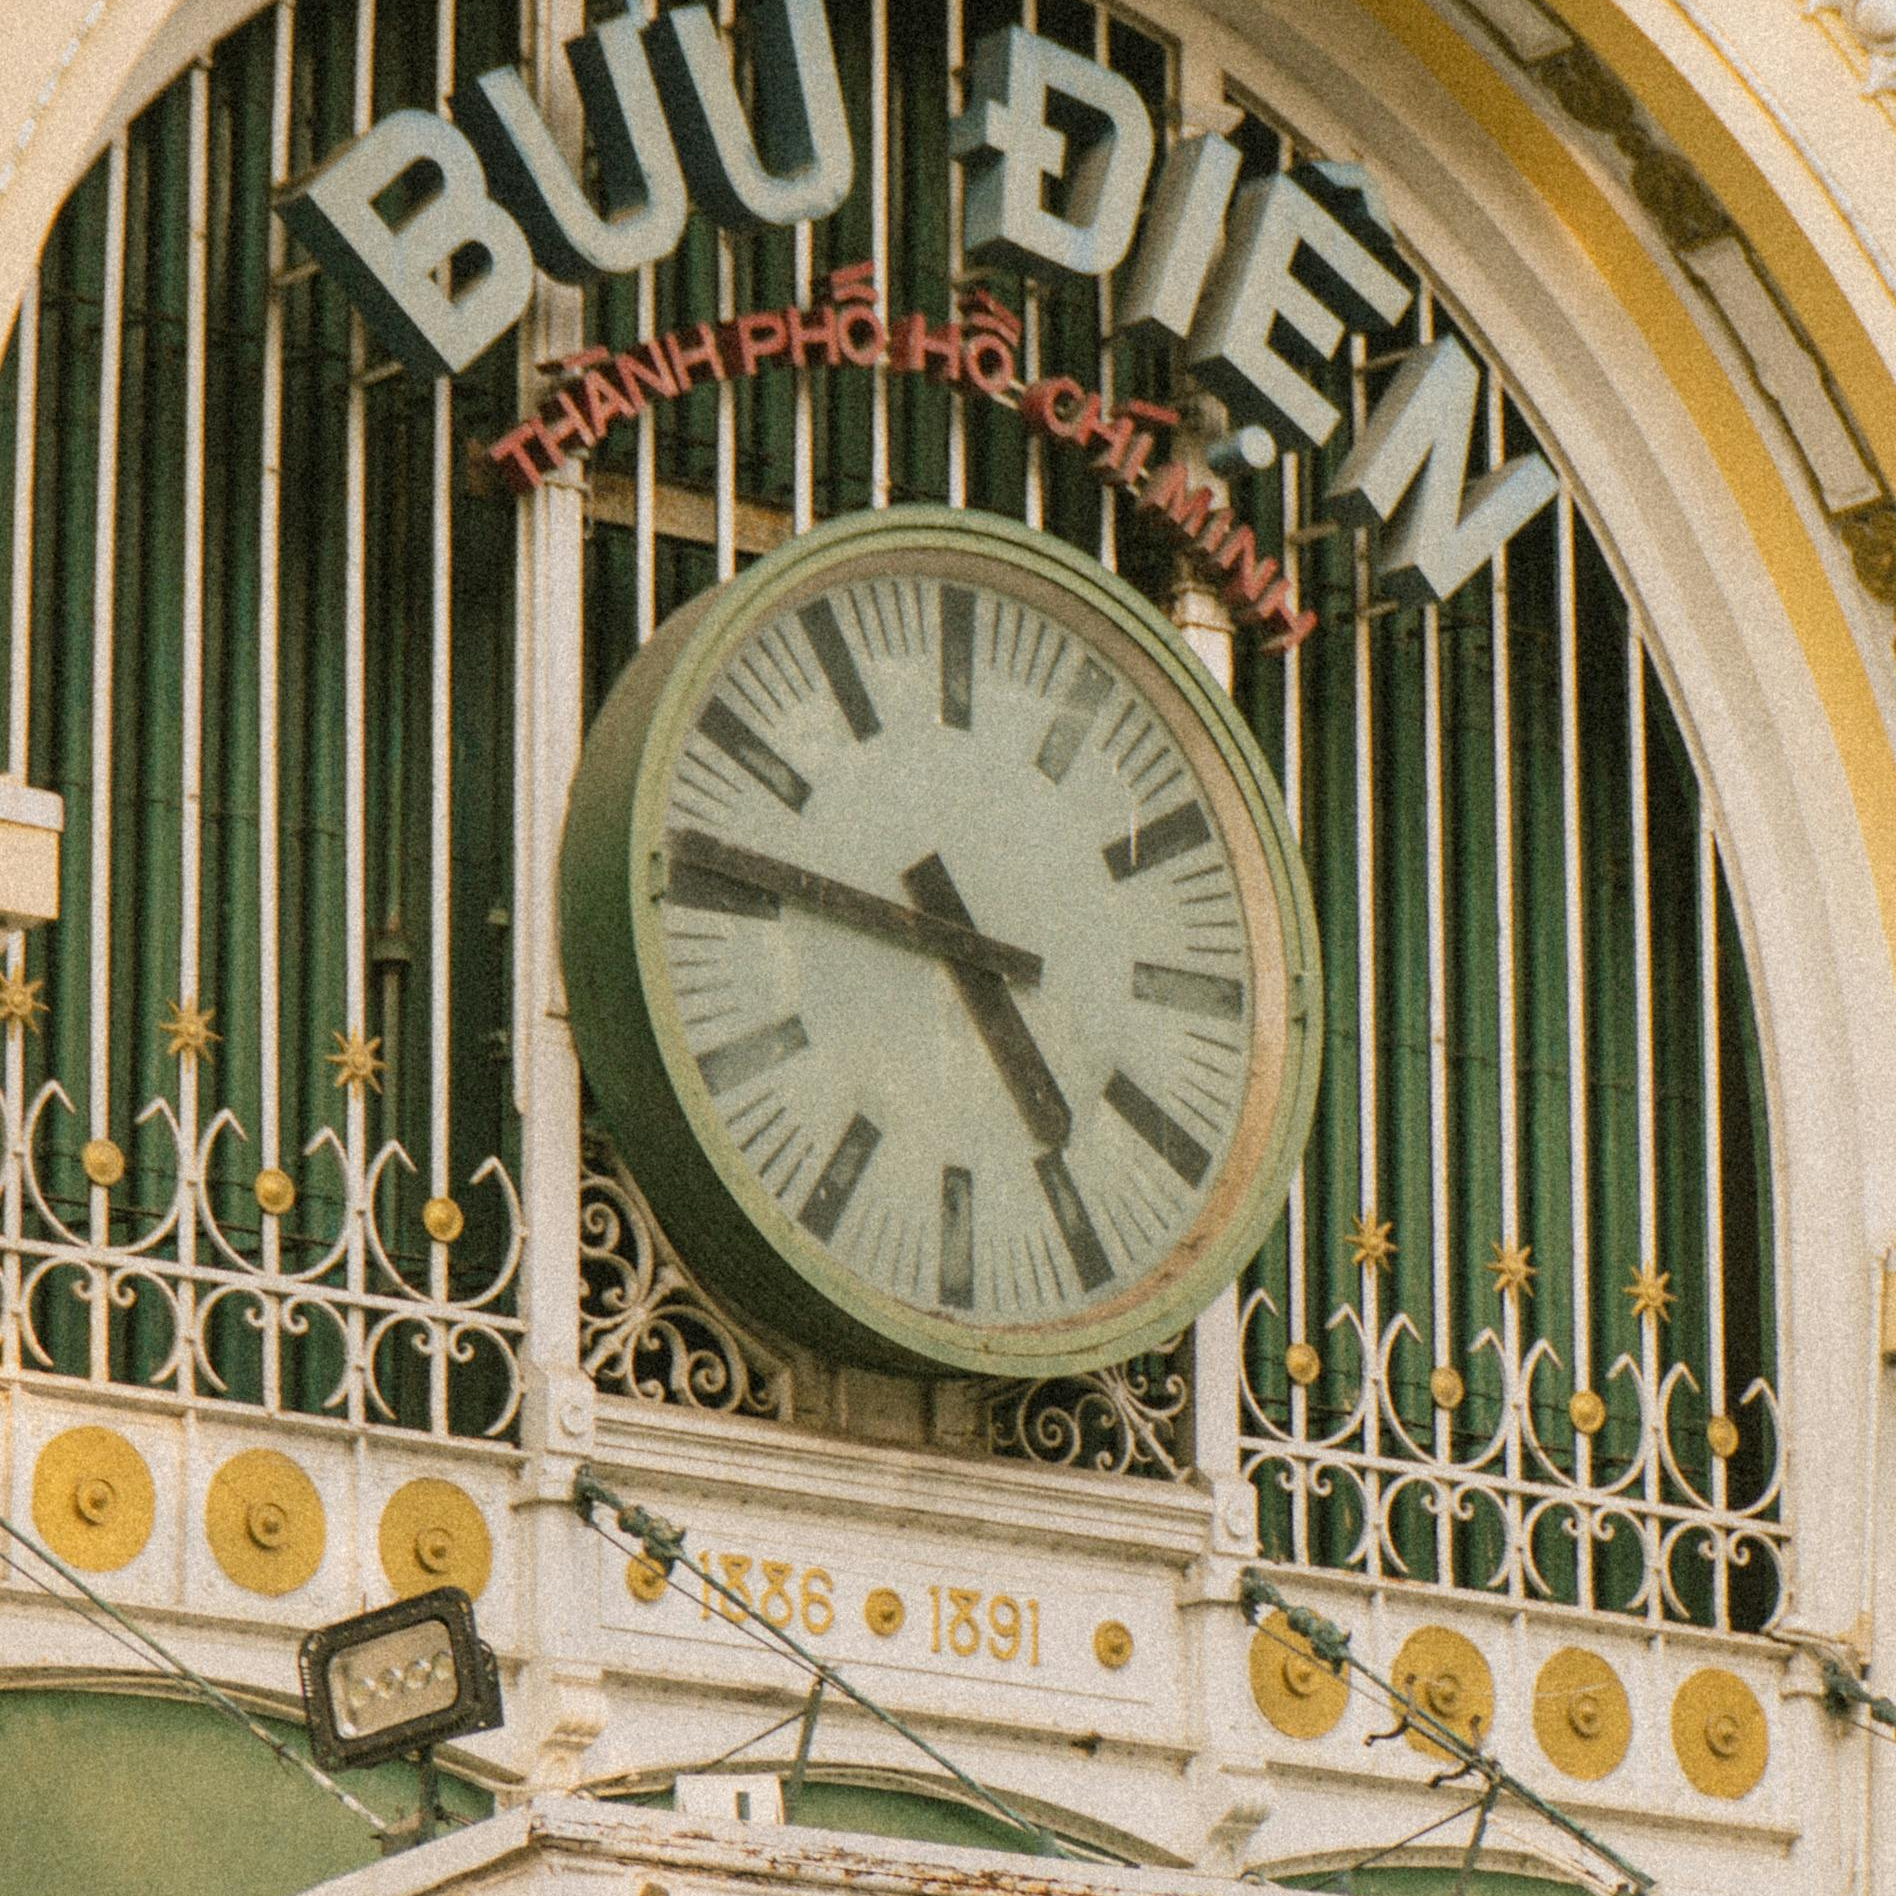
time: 4:46
